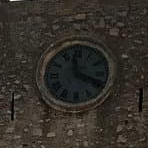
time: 3:58
